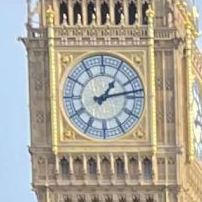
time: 1:13
